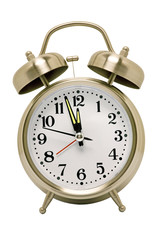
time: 11:56
